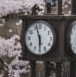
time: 5:57
